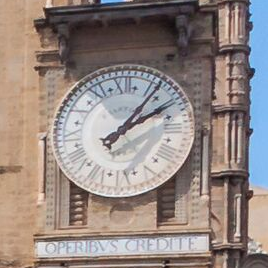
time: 2:06
